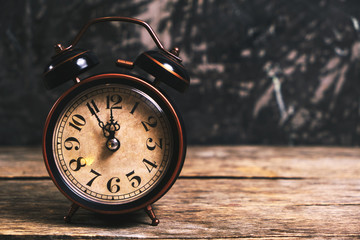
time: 11:54
